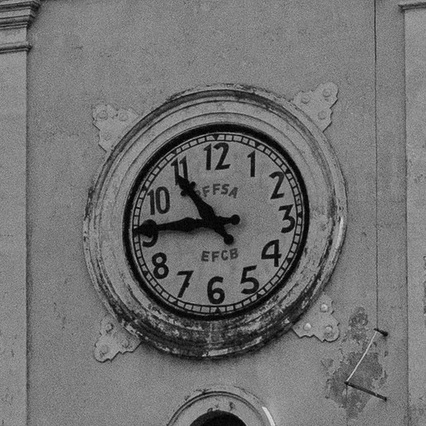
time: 10:45
